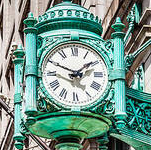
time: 1:49
